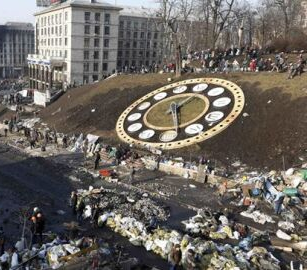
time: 1:28
